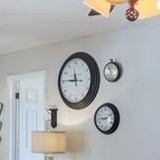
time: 11:45
